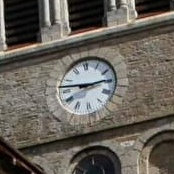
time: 2:46
